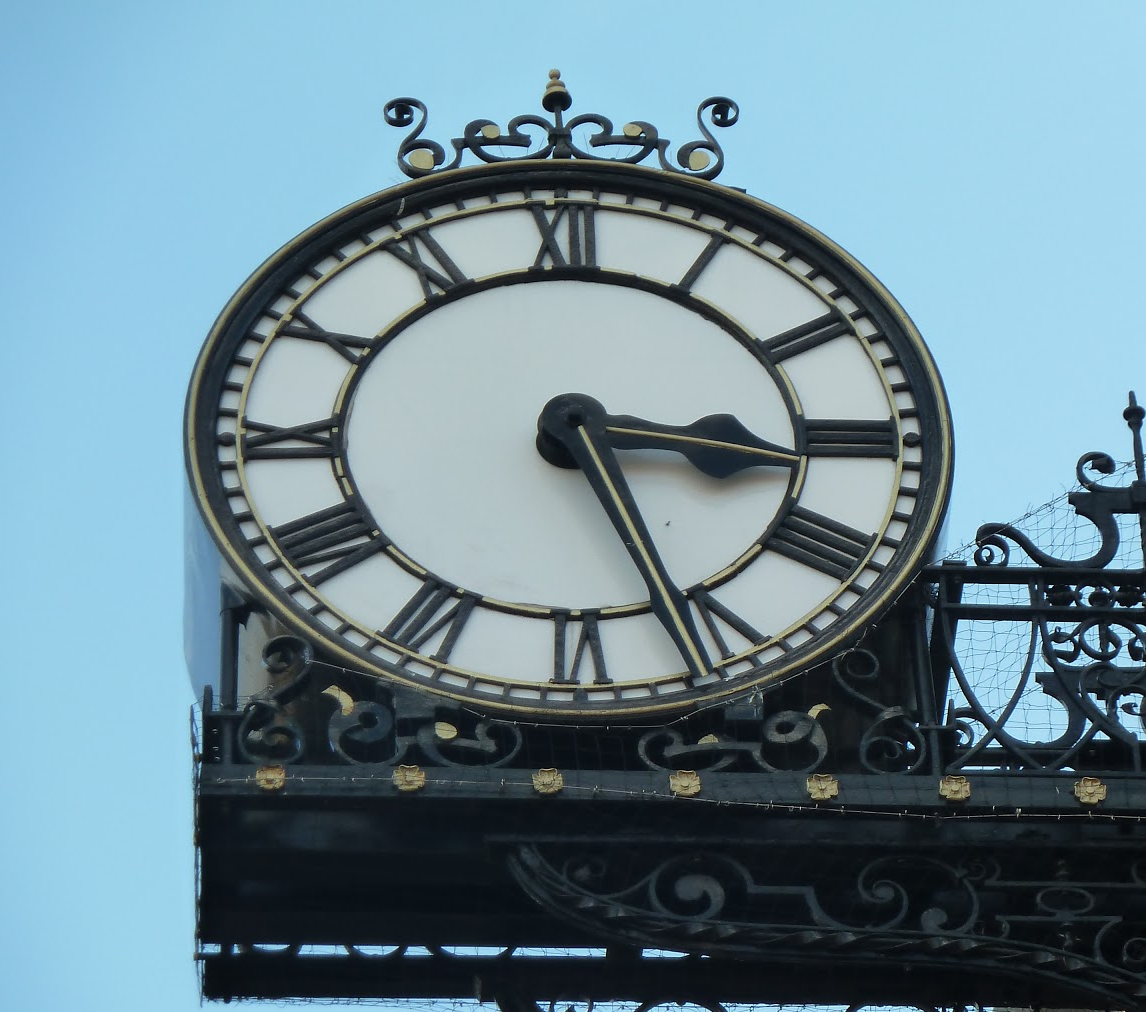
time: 3:26
